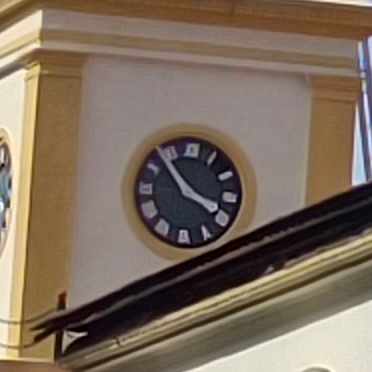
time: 3:53
